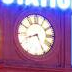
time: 8:25
